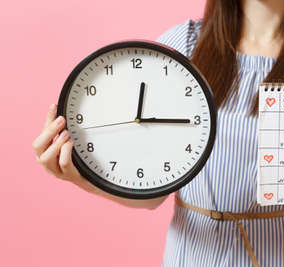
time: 12:15
